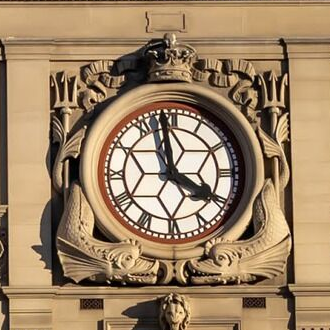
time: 3:58
